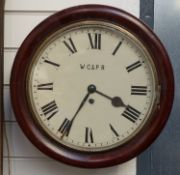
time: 3:34
